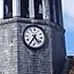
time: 4:35
